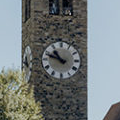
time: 10:48
